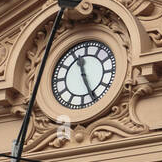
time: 11:25
